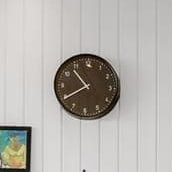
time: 10:39
